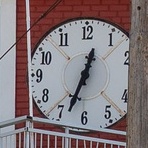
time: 12:33
